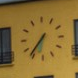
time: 6:36
